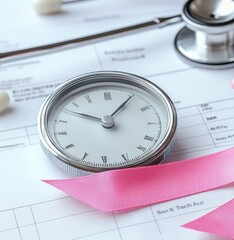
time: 10:05
